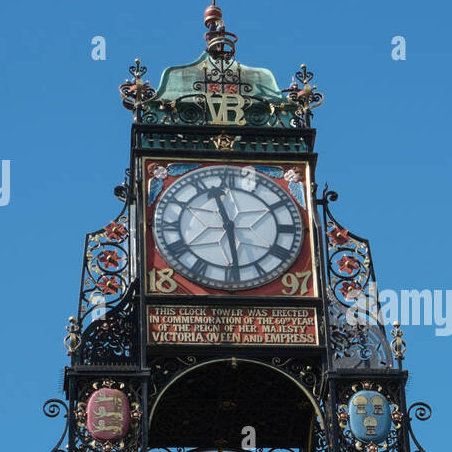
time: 11:28
